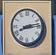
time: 8:13
